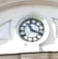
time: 11:18
